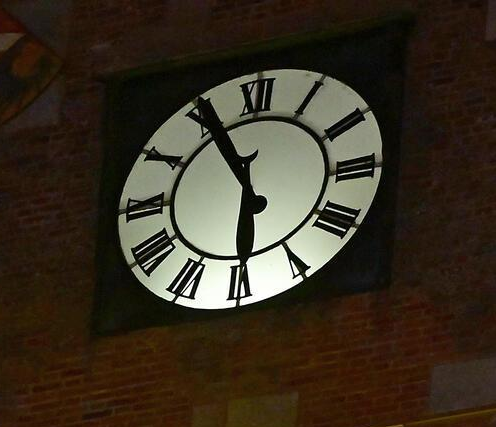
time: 5:55
